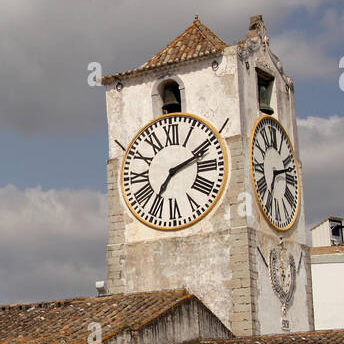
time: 7:11
